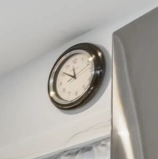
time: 11:51
